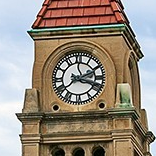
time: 2:18
